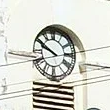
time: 9:50
